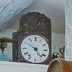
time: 4:50
